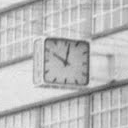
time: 10:01
